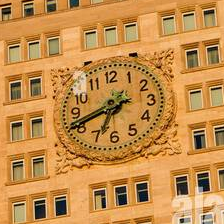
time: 6:41
